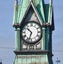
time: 10:33
